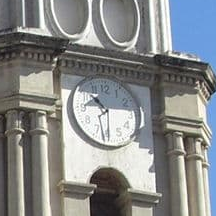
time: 10:30
